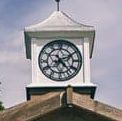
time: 2:23
